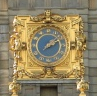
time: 2:09
